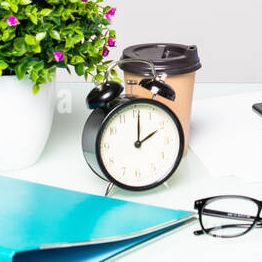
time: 2:00
